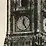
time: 12:24
